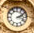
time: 2:18
